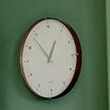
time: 12:53
